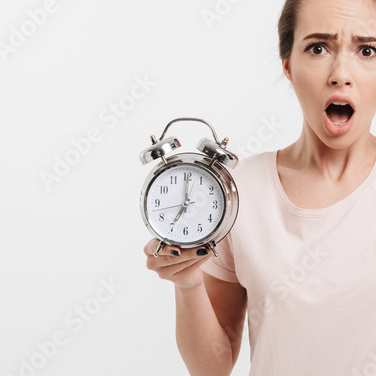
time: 7:00
